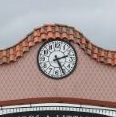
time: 2:25
